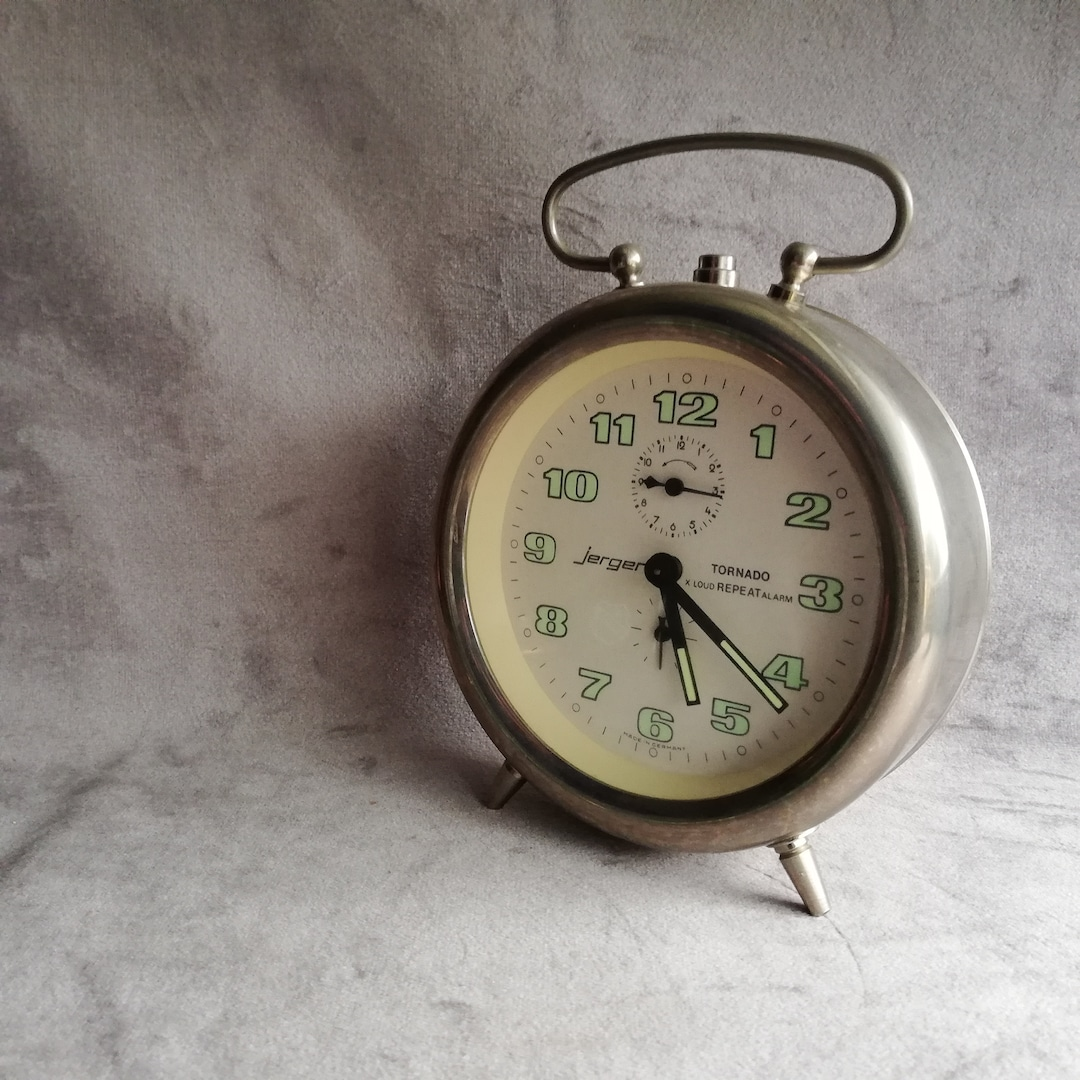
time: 5:21
